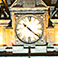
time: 10:21
